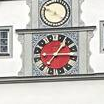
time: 1:13
